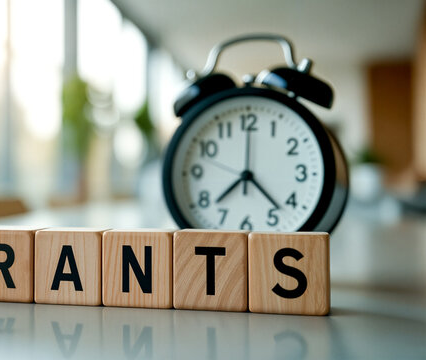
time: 7:22
